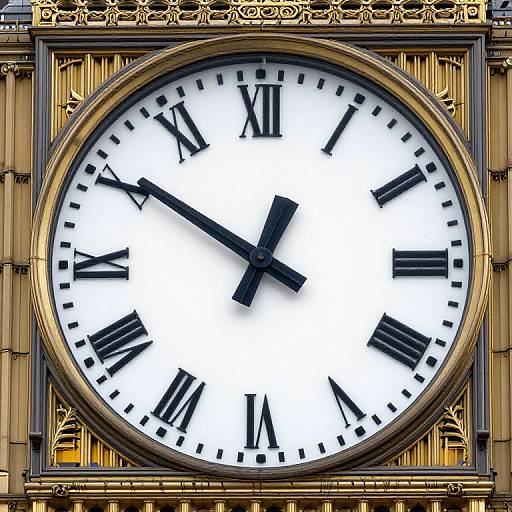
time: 12:50
